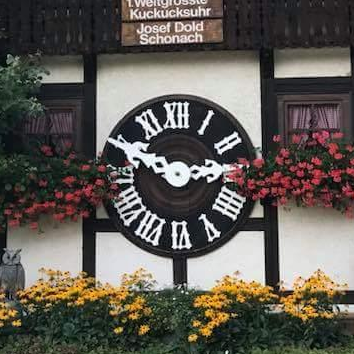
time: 2:49
